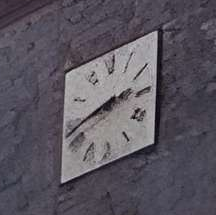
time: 2:42
